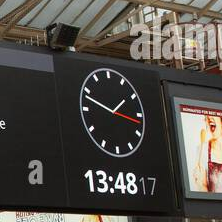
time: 1:48
